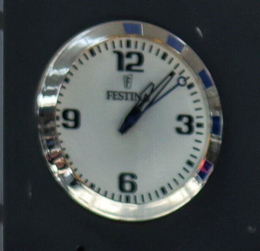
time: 1:07
